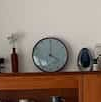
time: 4:00
